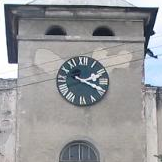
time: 2:18
